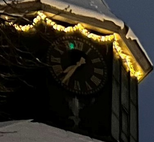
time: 7:35
